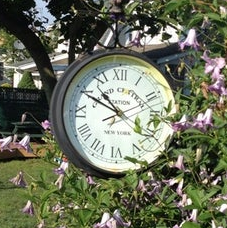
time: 10:49
